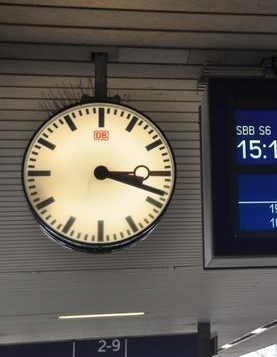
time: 3:18
